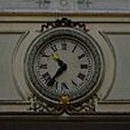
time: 10:36
